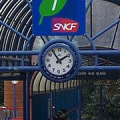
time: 1:54
